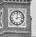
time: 12:12
